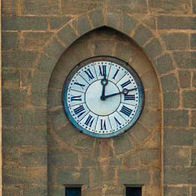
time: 12:12
